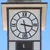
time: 3:28
